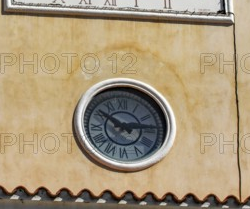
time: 10:14
